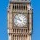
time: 10:48
